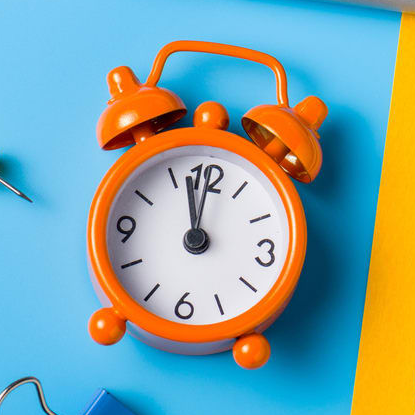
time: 11:57
